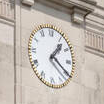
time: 1:20
